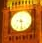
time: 9:28
